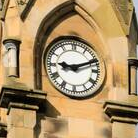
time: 9:11
